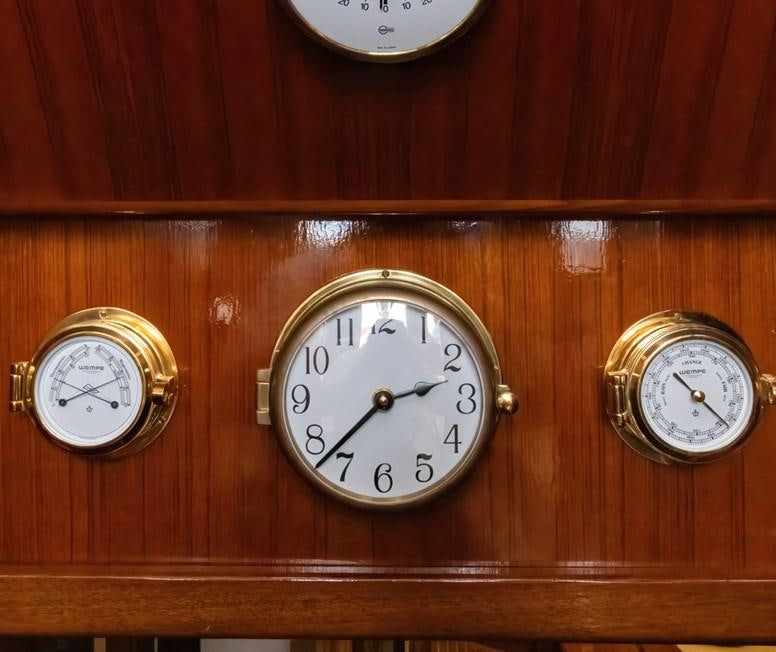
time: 2:37
